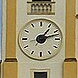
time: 1:12
